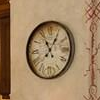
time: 11:05
